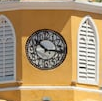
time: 10:15
